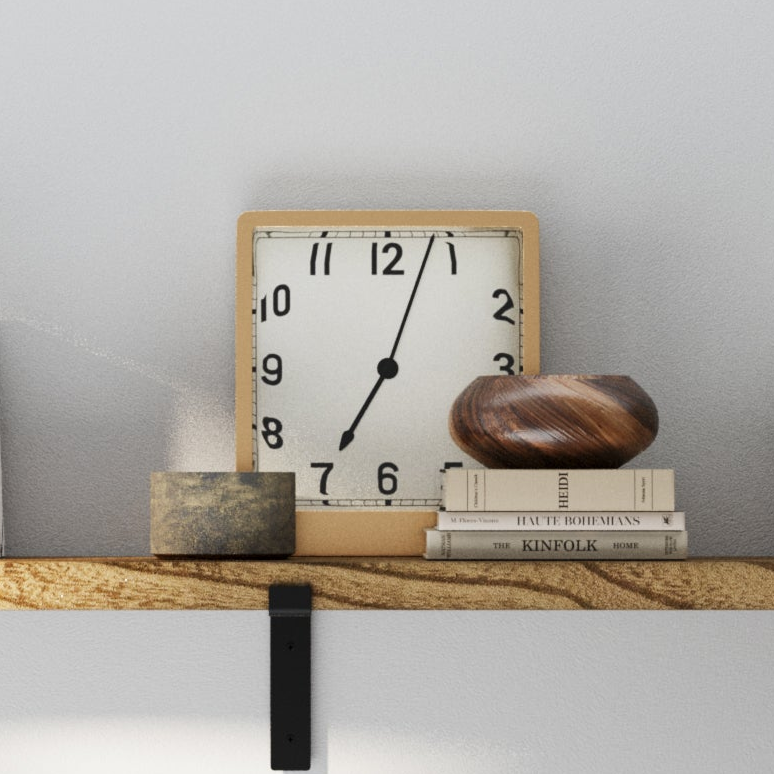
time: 7:03
